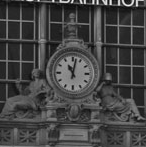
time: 11:02
